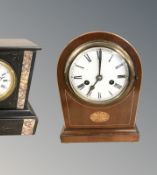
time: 7:00
